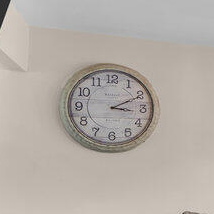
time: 3:10
